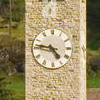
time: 4:46
